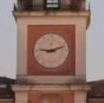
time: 9:11
